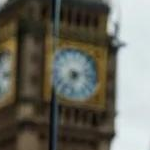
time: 7:12
